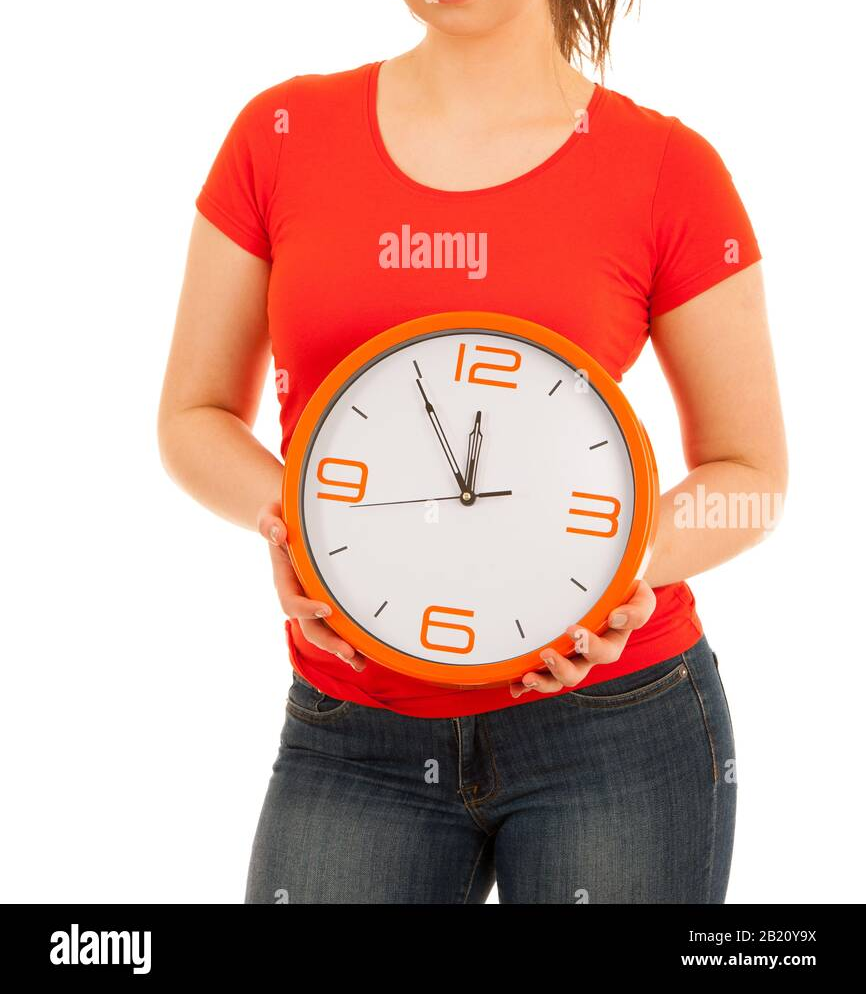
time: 11:54
